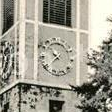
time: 7:52
